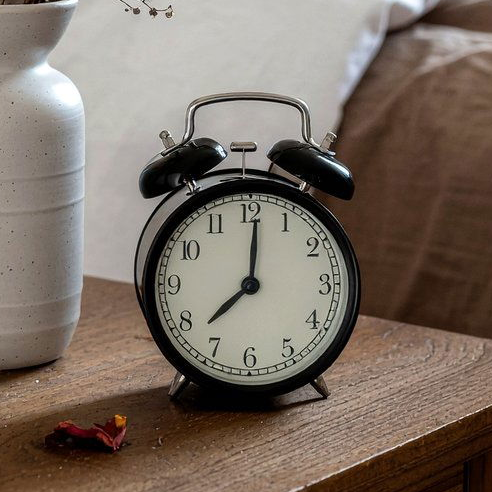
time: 8:01
